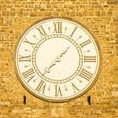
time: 1:37
